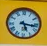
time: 5:16
